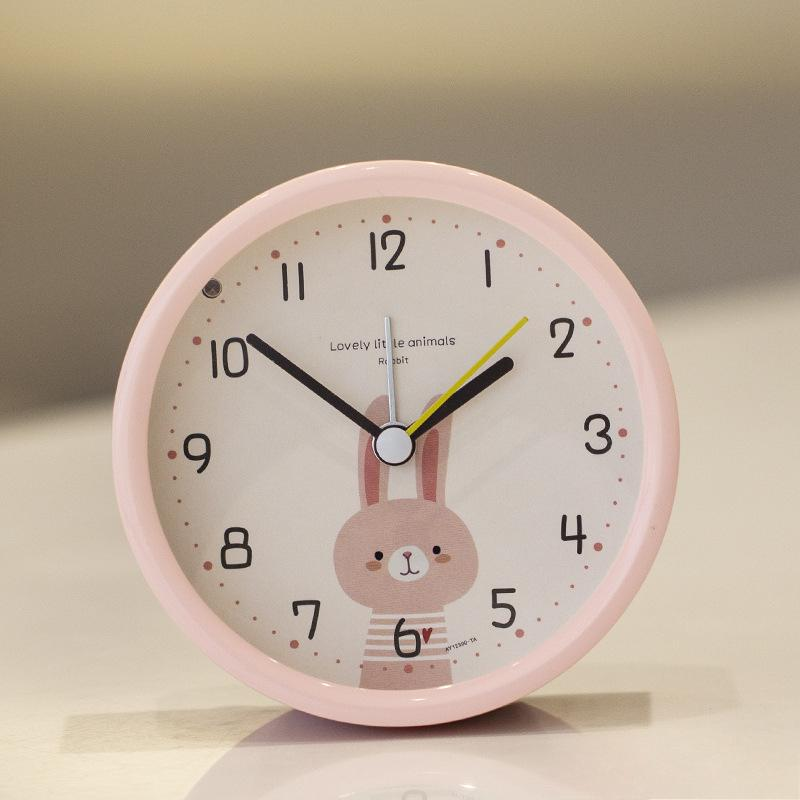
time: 1:51
